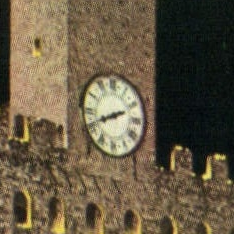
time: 8:11
